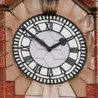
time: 1:51
